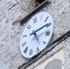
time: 5:14
